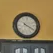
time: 10:19
